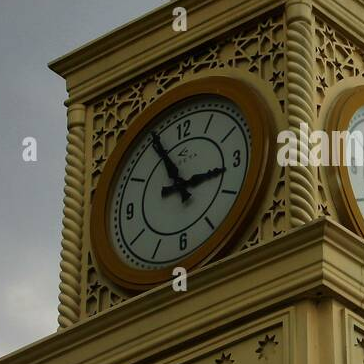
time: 2:55
